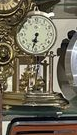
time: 6:32
